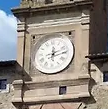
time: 12:11
